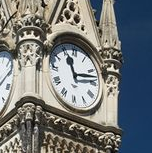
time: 11:12
